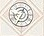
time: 12:34
